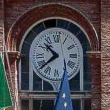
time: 10:38
